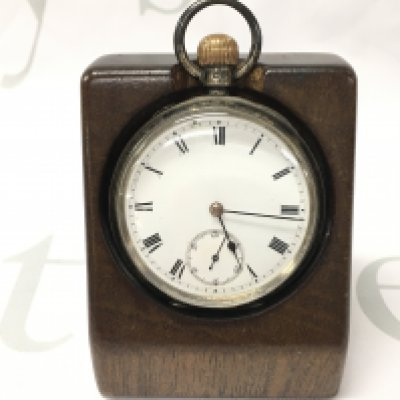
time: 5:15
